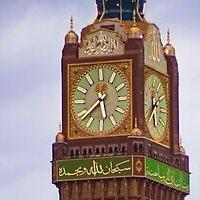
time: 5:38
